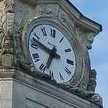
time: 6:47
